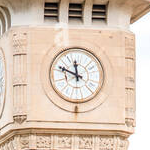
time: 11:48
